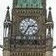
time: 2:35
